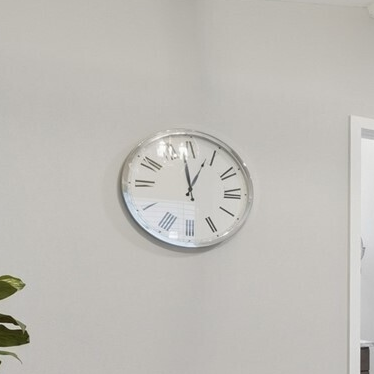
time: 12:58
